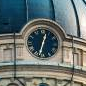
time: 12:32
